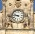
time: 9:45
